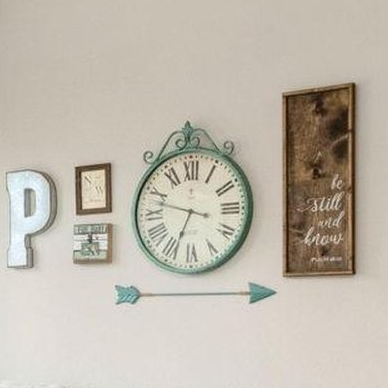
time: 6:47
